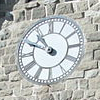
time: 10:49
